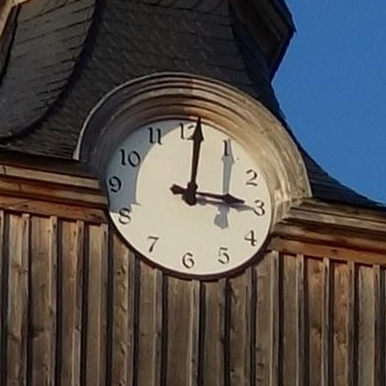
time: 3:01
